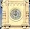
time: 9:01
